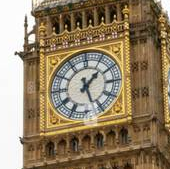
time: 1:26
